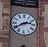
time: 2:40
